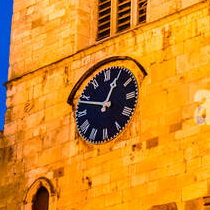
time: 12:48
